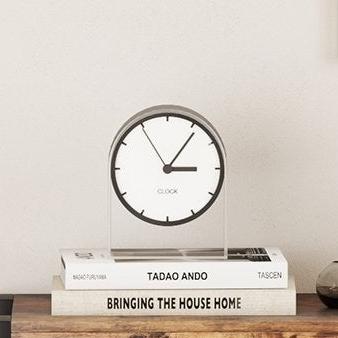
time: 3:05
